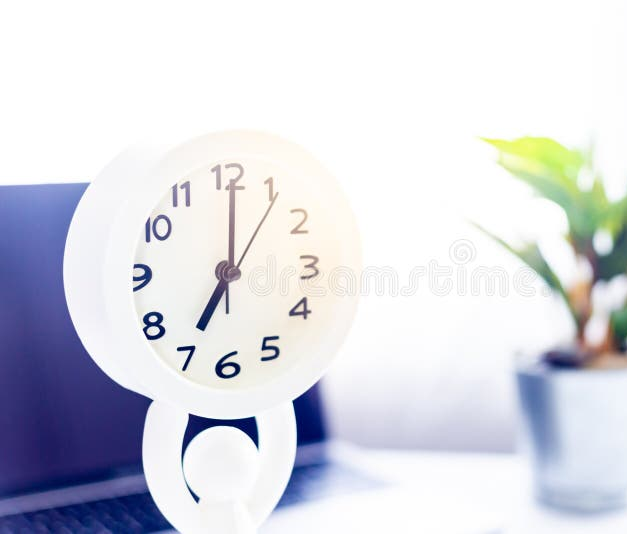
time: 7:00
